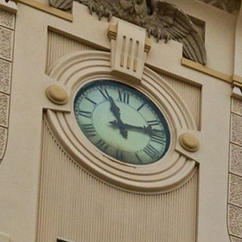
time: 11:13
